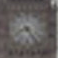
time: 8:24
